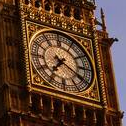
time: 7:20
